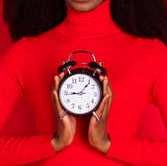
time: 9:06
